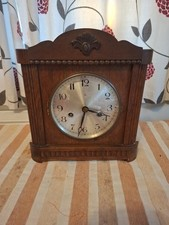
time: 3:32
